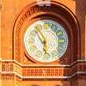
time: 5:54
